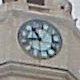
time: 10:42
